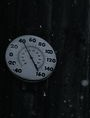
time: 4:55
